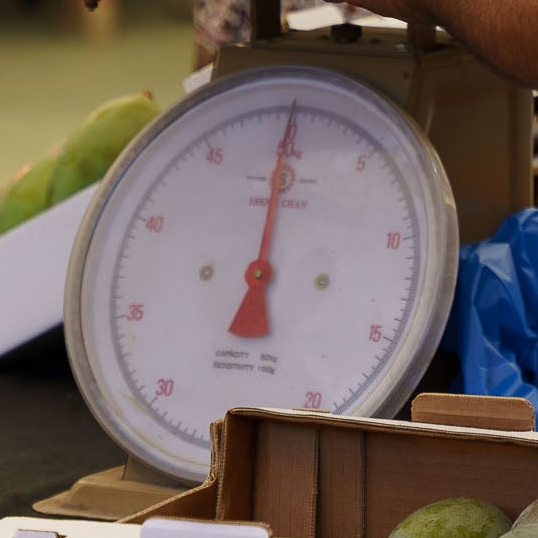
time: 7:00
